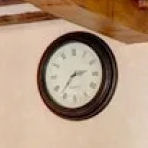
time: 2:36
